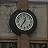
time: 12:36
